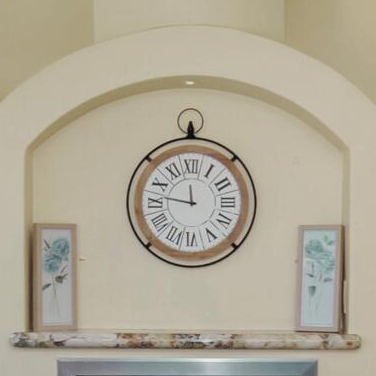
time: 11:46
